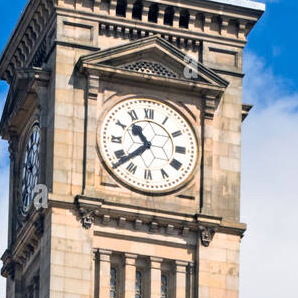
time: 10:38
